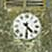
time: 4:30
